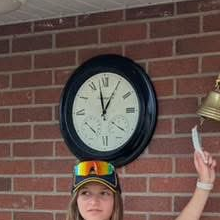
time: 12:57
